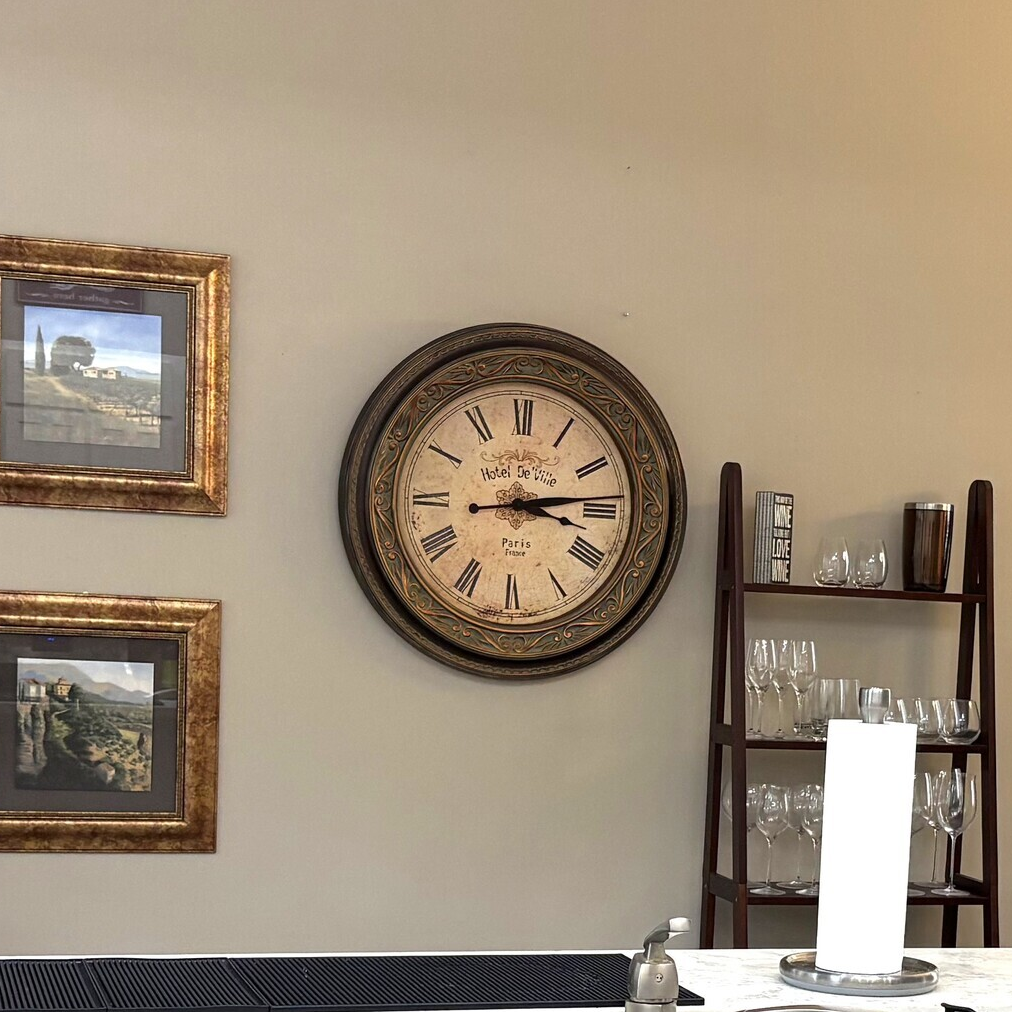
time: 3:13
